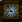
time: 8:53
